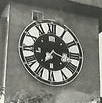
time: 7:17
